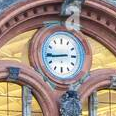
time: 8:44
